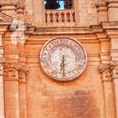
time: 6:29
